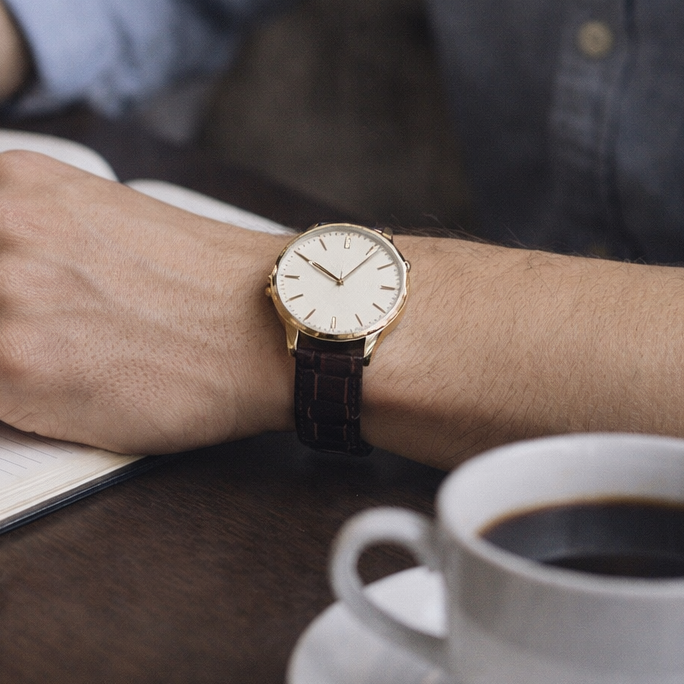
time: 10:06
